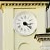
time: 3:21
